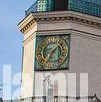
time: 7:07
